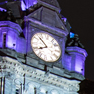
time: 7:52
